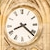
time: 8:21
